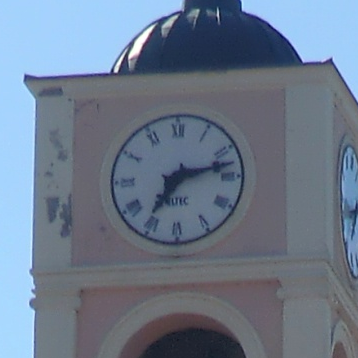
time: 7:12
